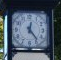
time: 12:23
